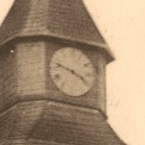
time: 3:47
